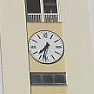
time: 7:32
